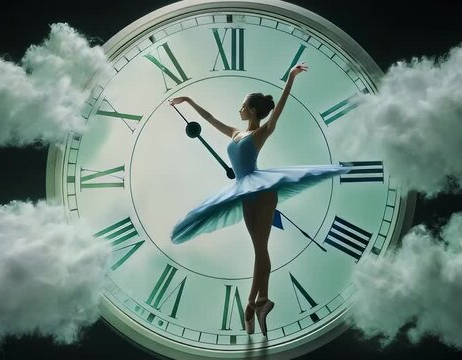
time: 12:28
